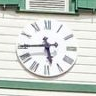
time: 5:44
